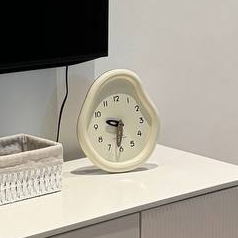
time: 9:31
